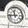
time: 11:43
